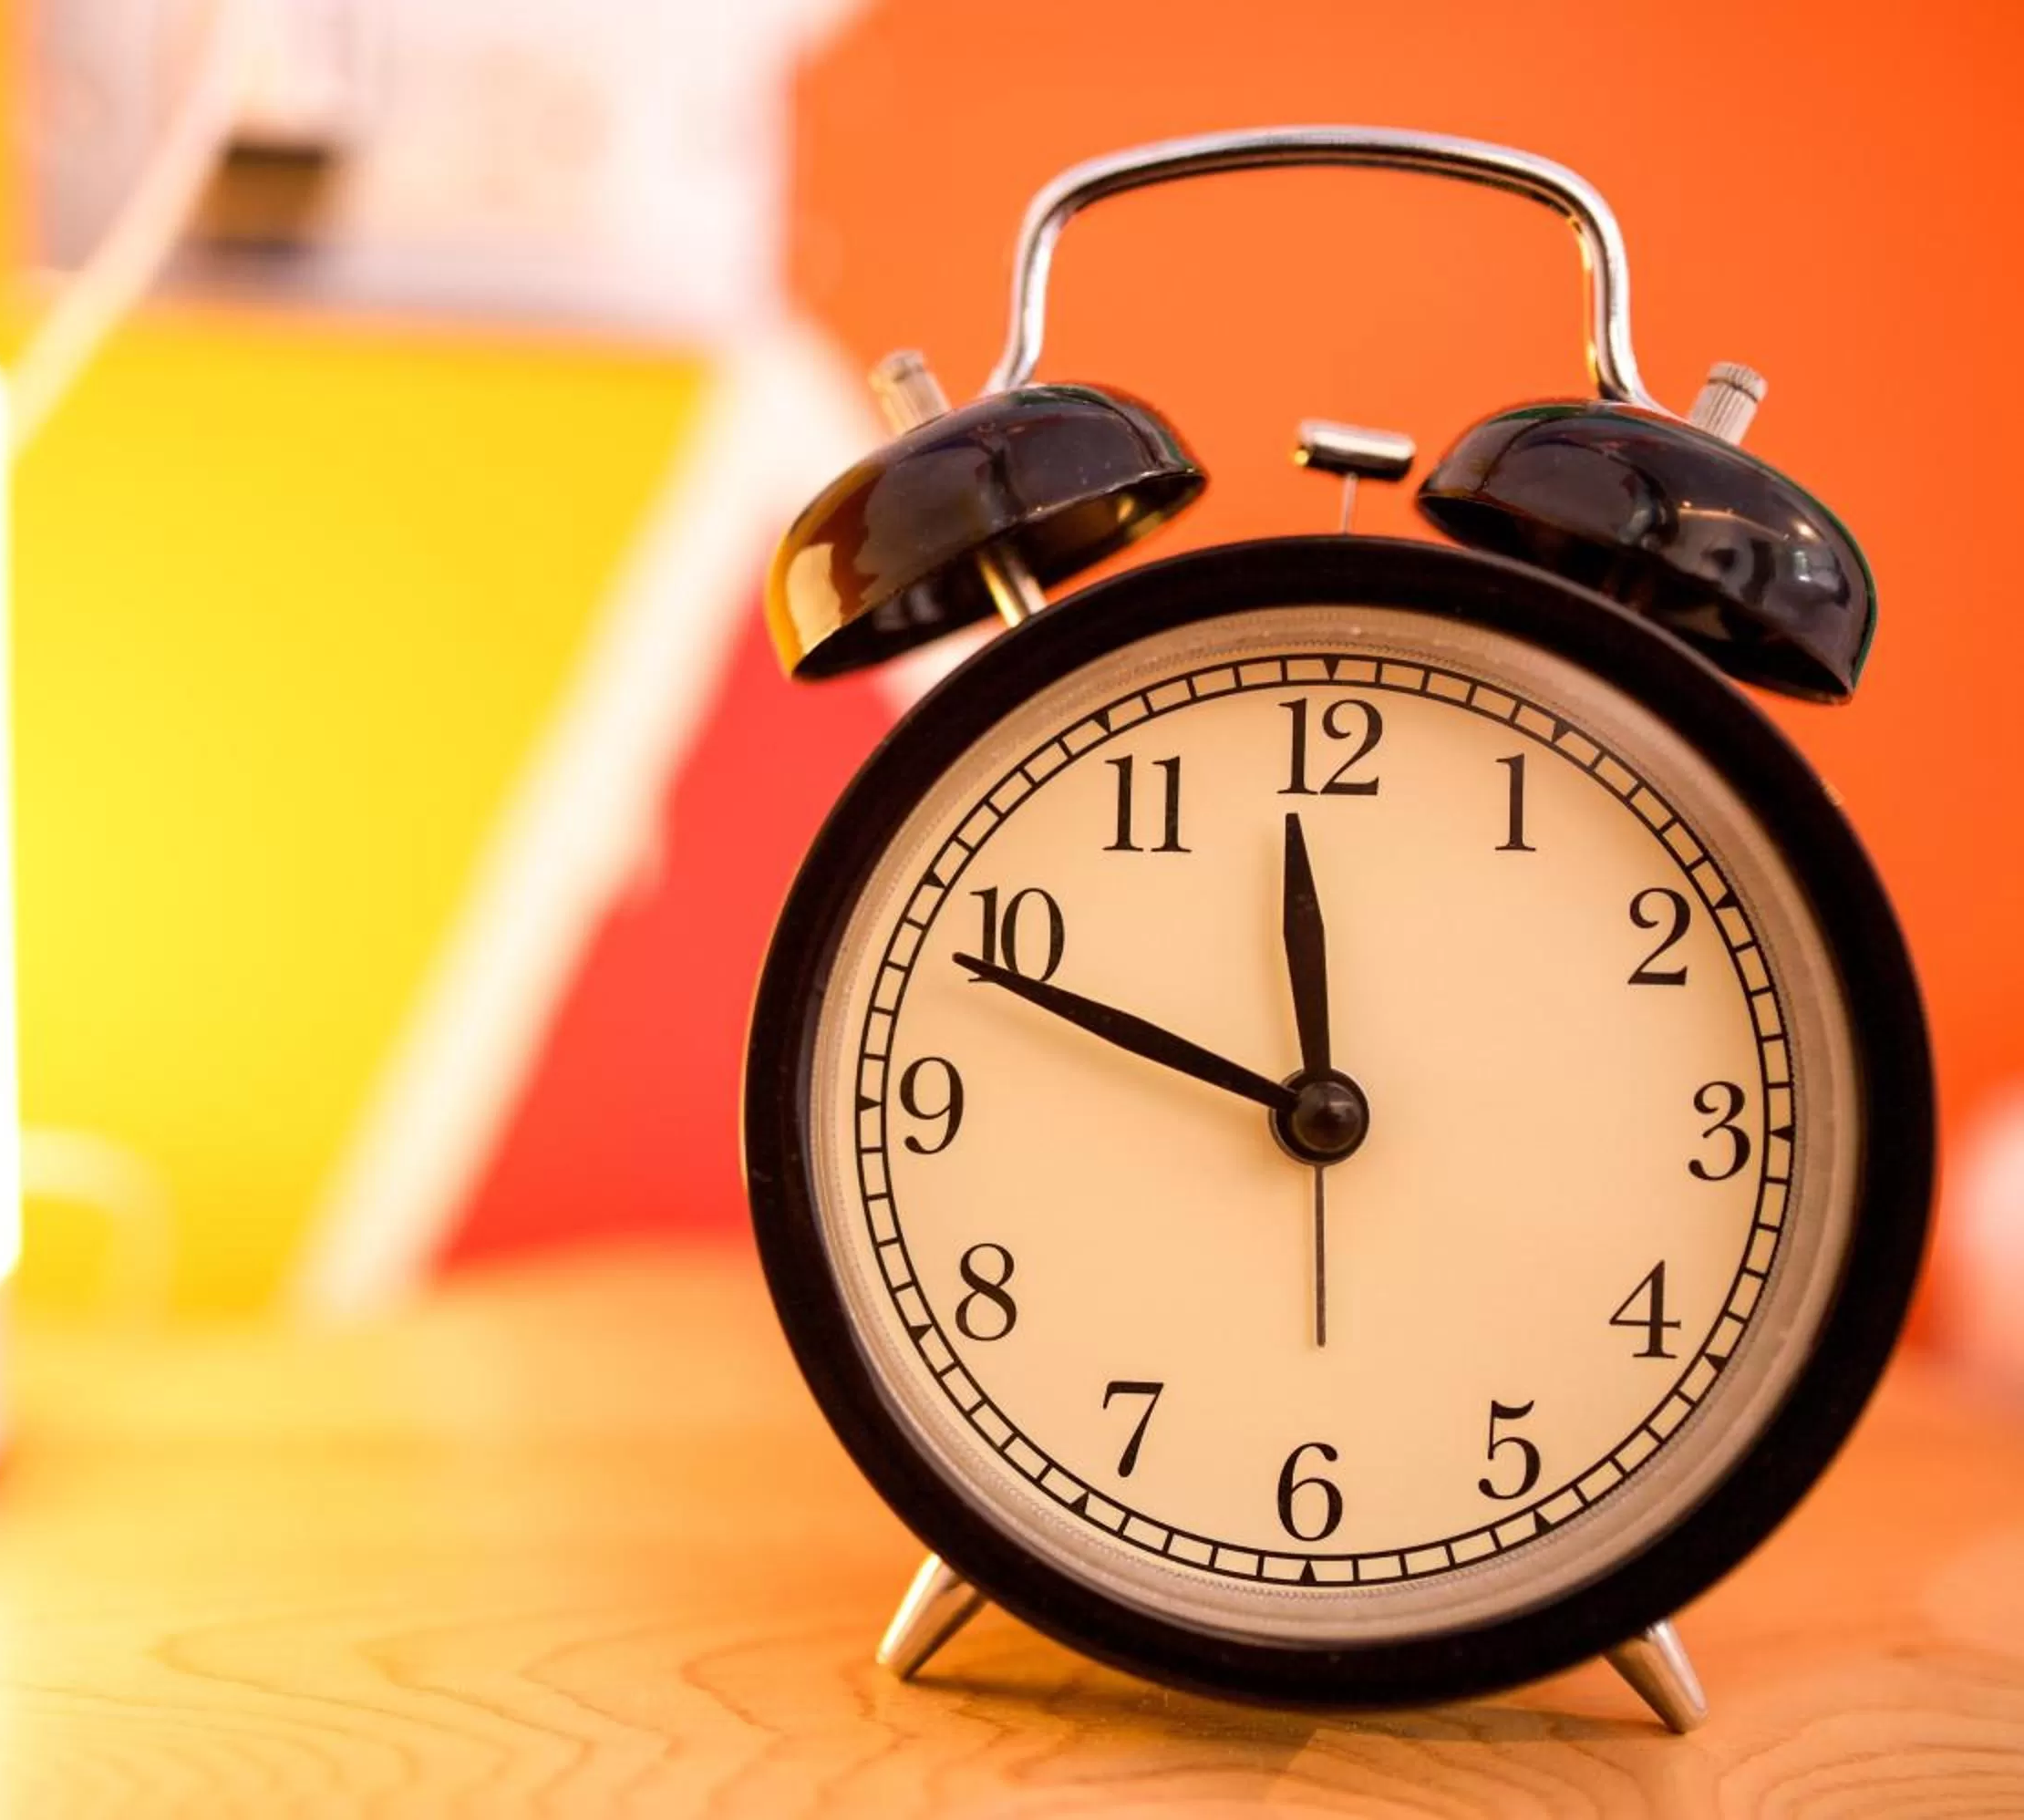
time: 11:48
